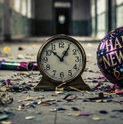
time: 12:52
